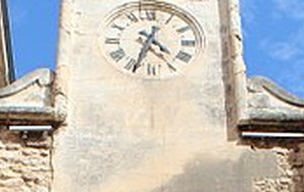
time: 4:33
